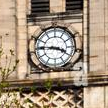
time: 3:45
